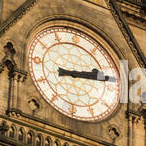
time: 2:13
